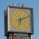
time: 6:11
